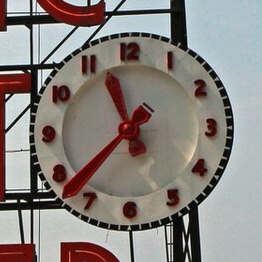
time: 11:37
